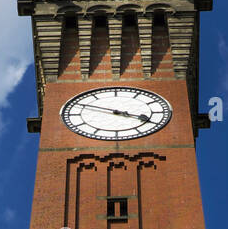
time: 3:48
